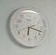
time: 6:17
